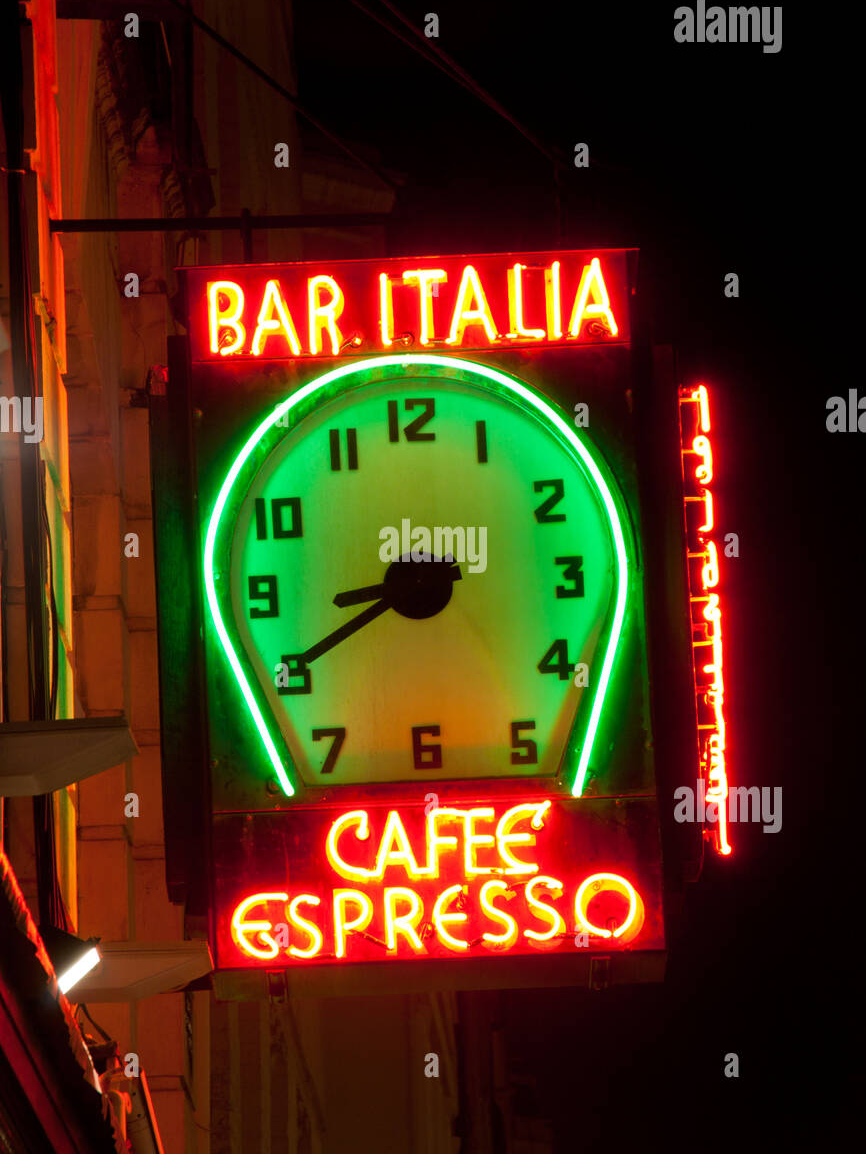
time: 8:40
